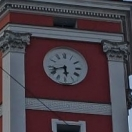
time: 5:42
